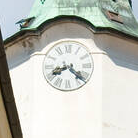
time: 8:21
